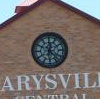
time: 12:22
